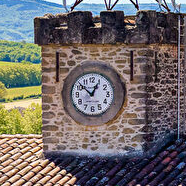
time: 12:52
